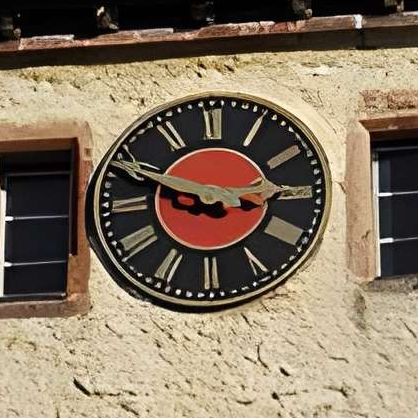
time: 8:48
